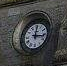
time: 12:16
